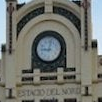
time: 9:01
